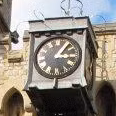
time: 1:16
